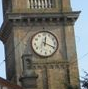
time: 12:19
